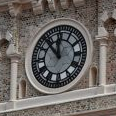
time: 11:53
